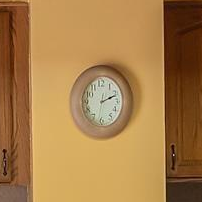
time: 2:11
